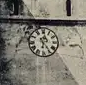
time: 6:24
